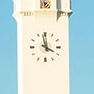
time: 3:58
